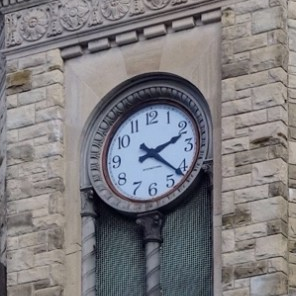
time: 2:21
